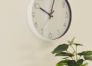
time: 10:03
